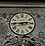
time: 2:45
